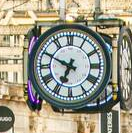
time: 6:49
